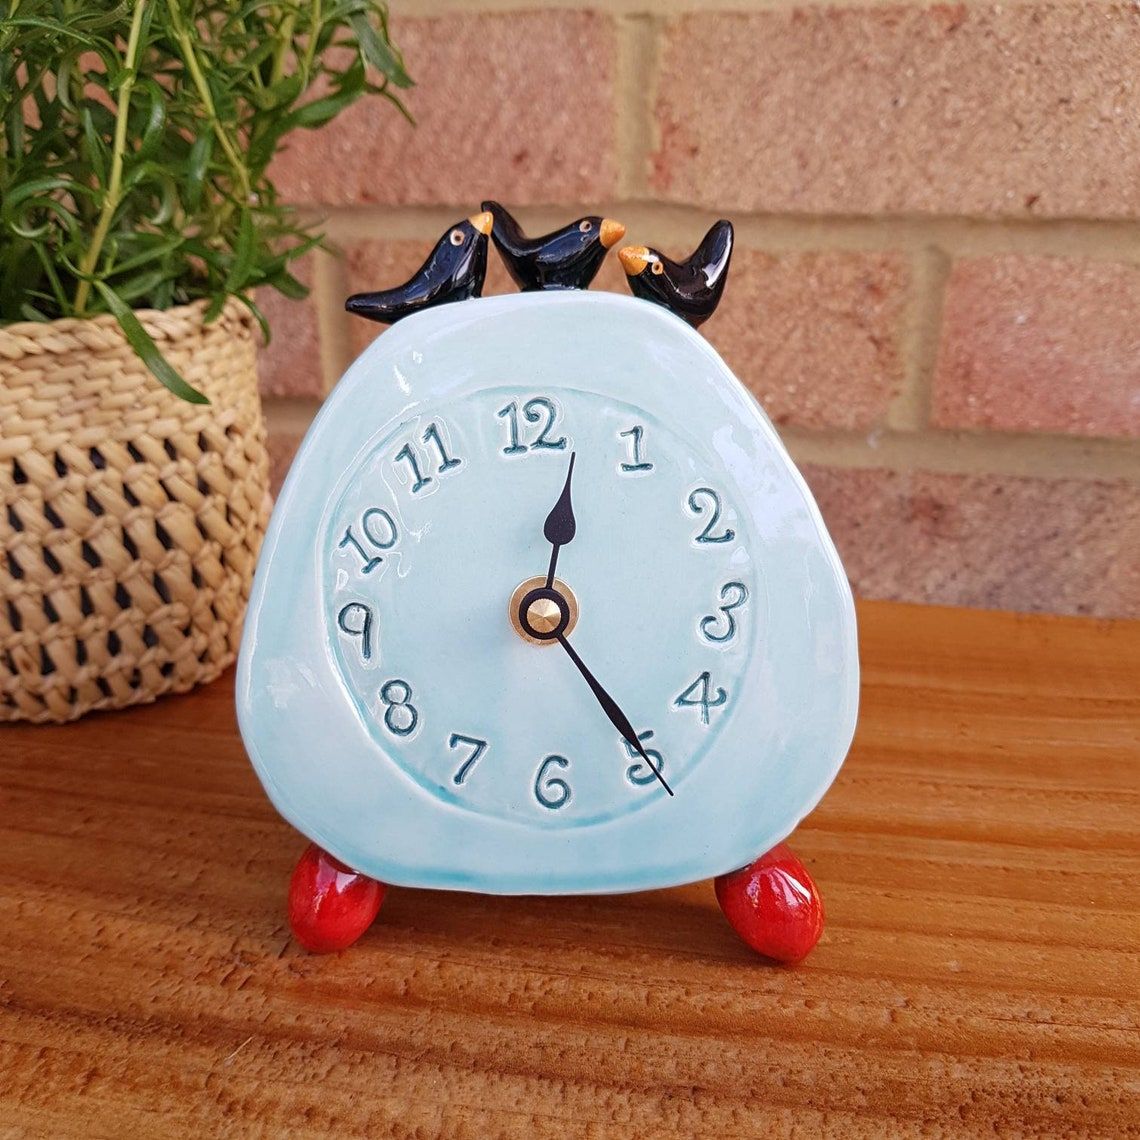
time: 12:24
